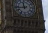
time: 11:43
